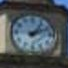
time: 1:11
